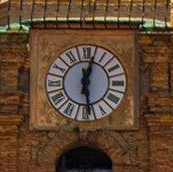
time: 12:28
